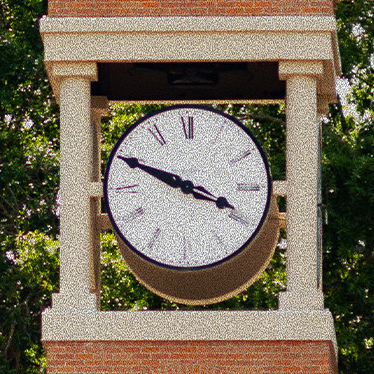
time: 3:48
